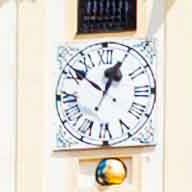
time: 12:51
